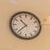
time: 10:37
